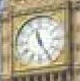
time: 11:24
